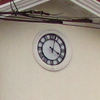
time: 4:02
